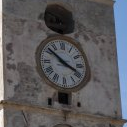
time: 3:51
